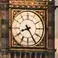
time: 8:24
